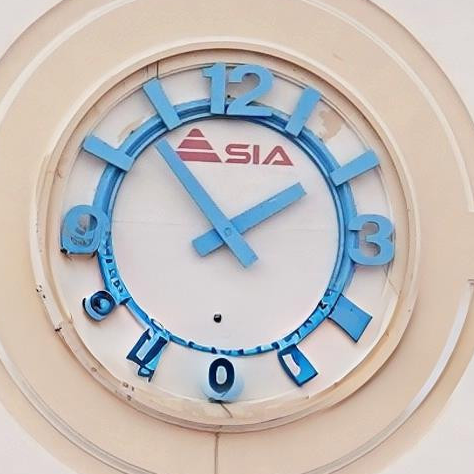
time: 1:53
